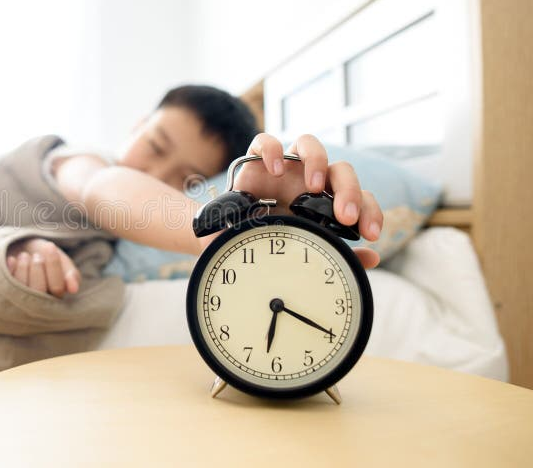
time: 6:19
